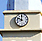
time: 10:00
